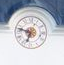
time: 6:47
